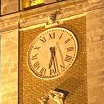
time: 6:28
